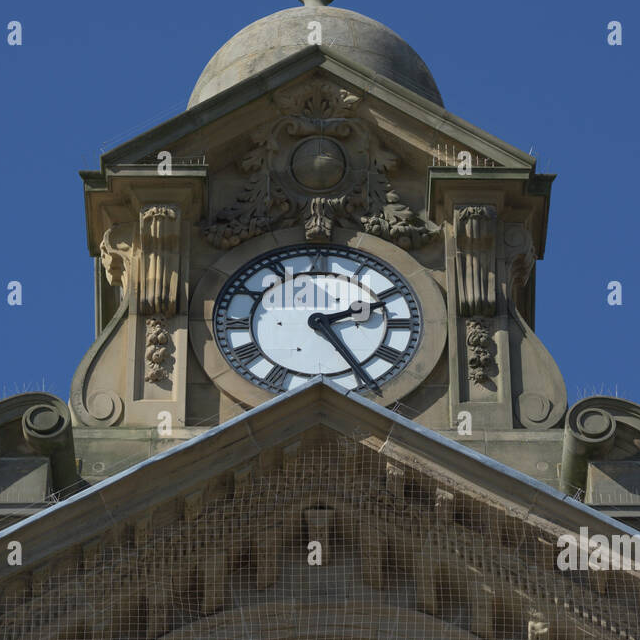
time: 2:24
